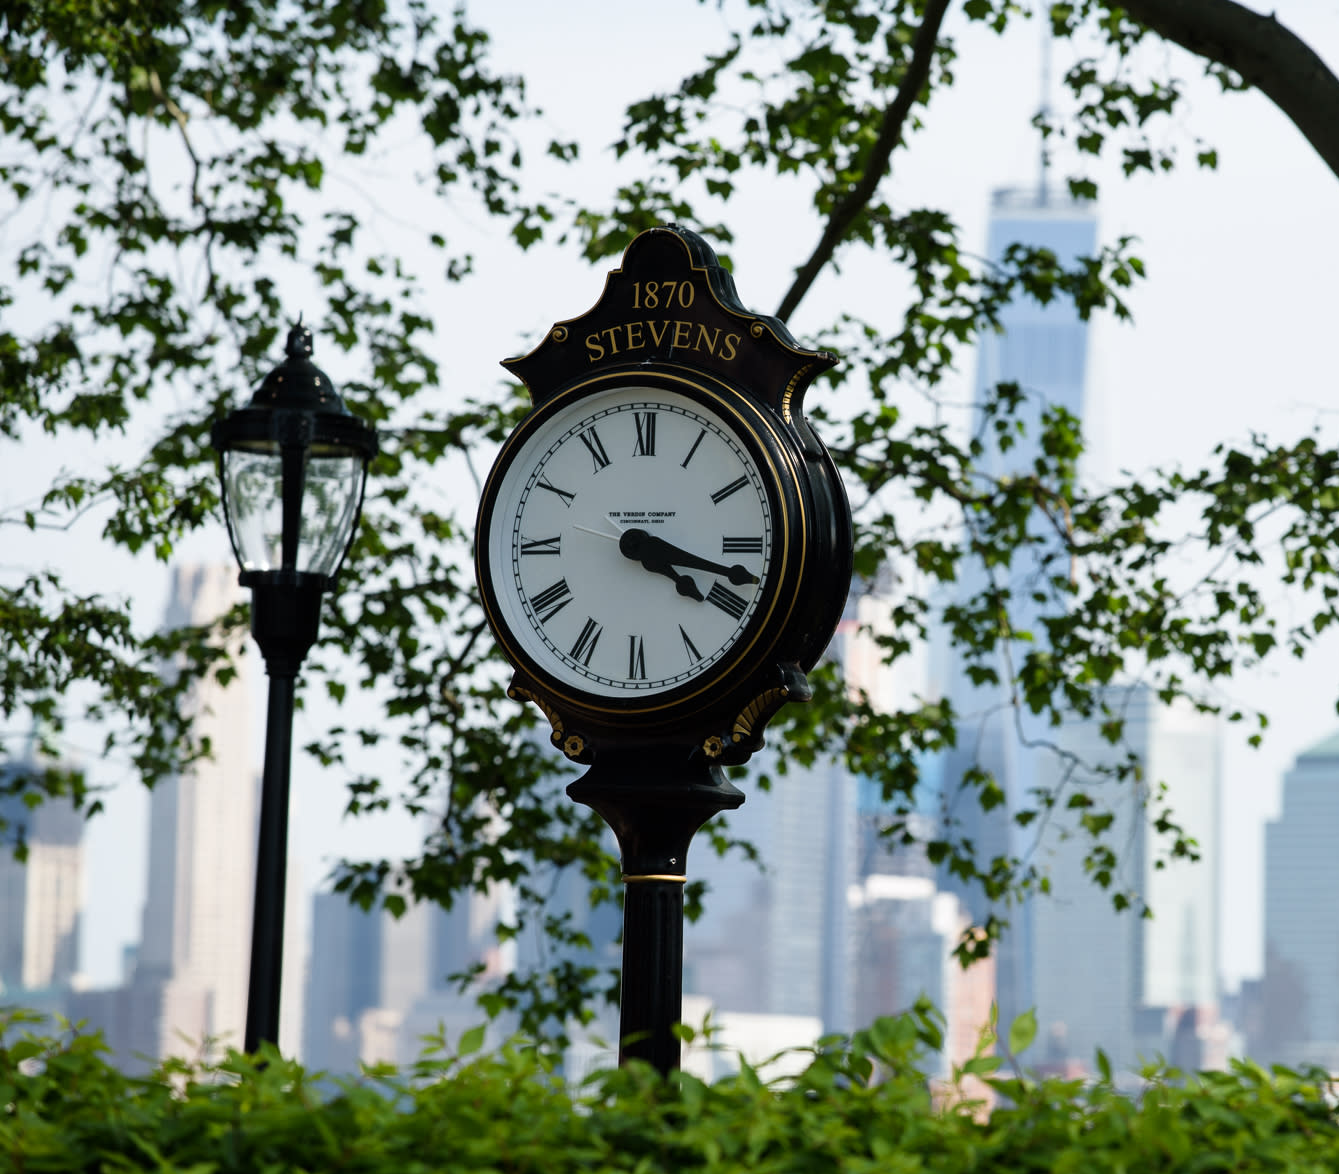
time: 4:17
